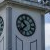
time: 10:37
